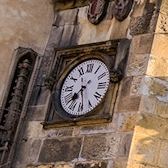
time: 7:28
